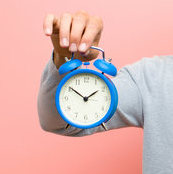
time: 1:50
